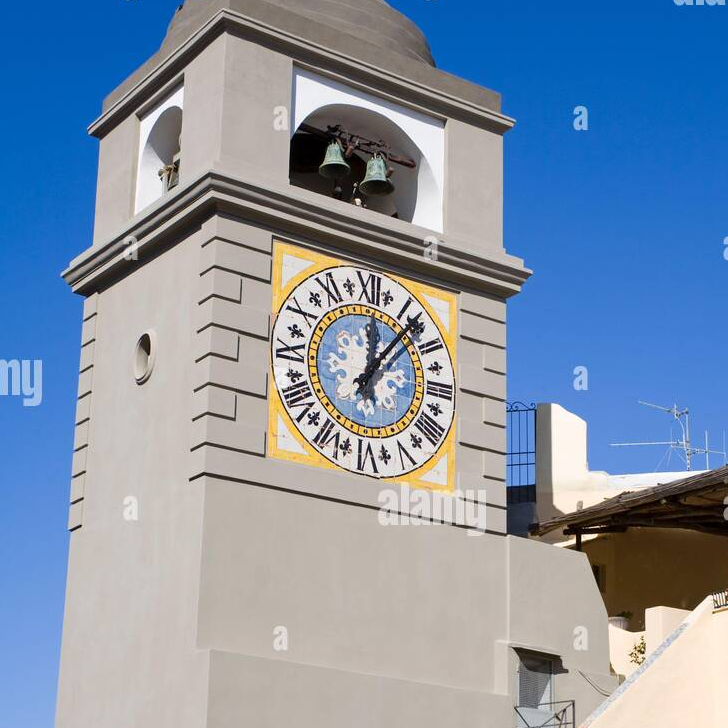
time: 12:06
